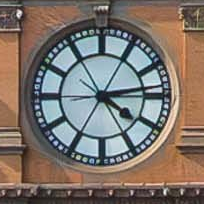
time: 4:13
